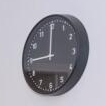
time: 8:59
